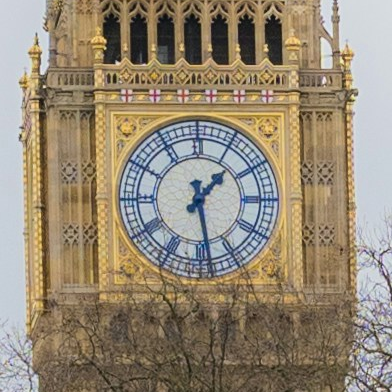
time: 1:28
